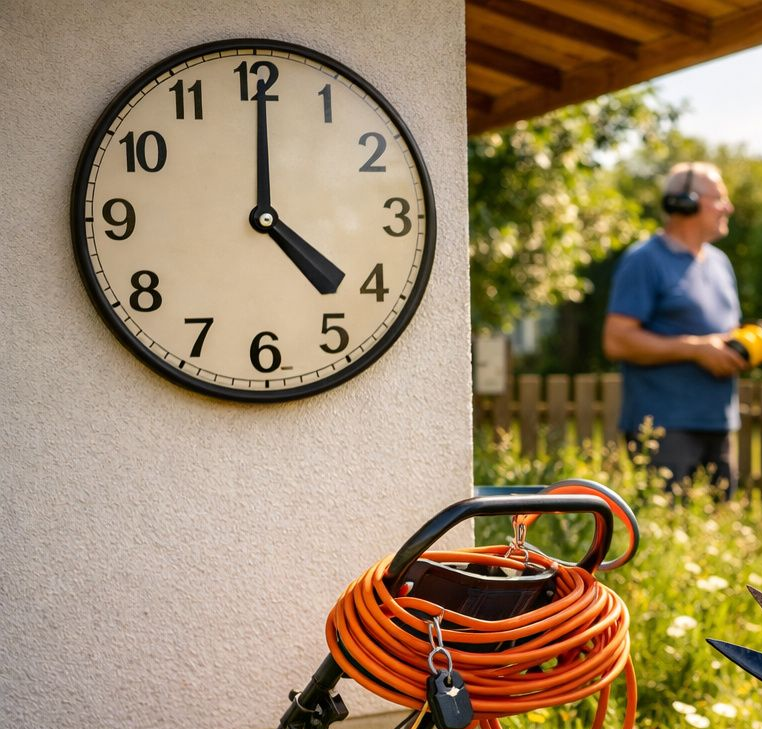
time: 4:00
